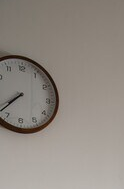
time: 7:37
